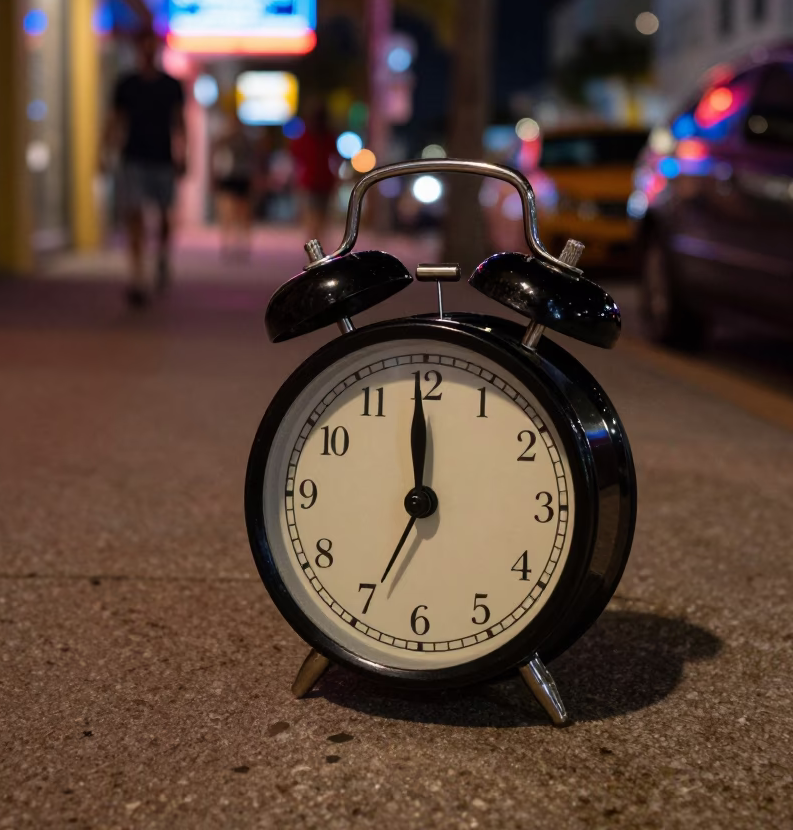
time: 11:59
